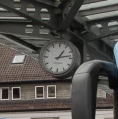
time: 1:13
